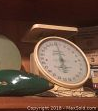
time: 5:59
